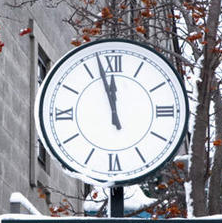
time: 11:57
